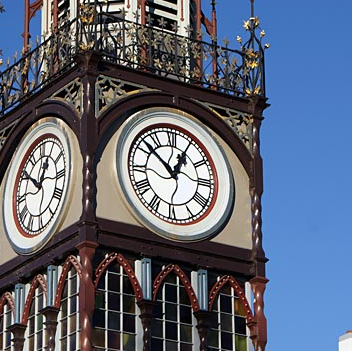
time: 12:52
